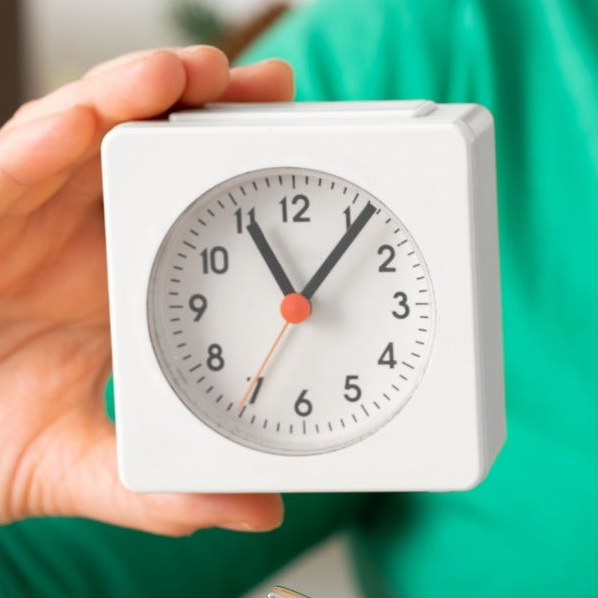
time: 11:06
